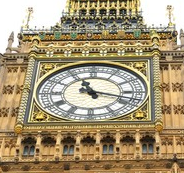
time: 11:17
